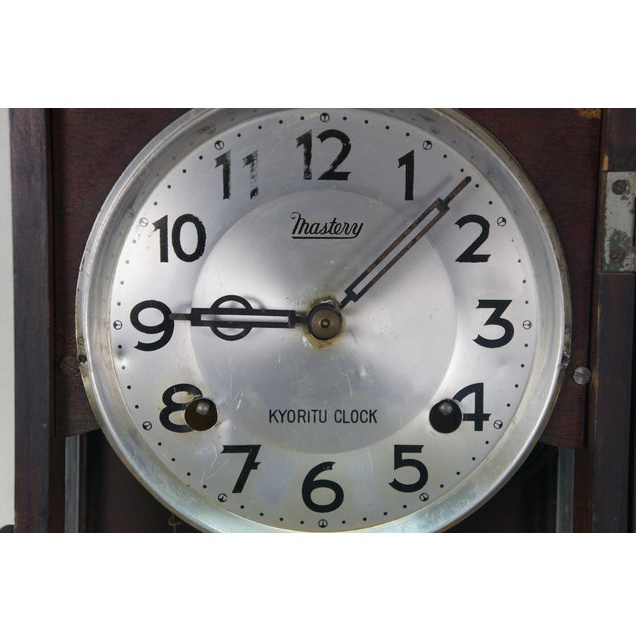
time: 9:07
